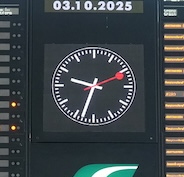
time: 9:33
